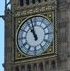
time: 10:57
